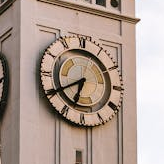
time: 6:40
